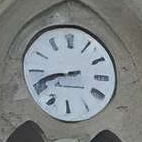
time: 8:41
